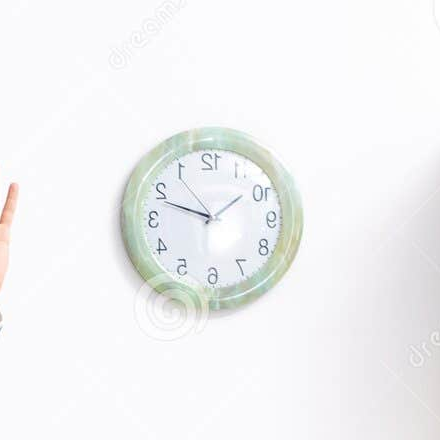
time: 1:48
